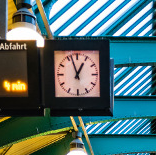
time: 12:57
